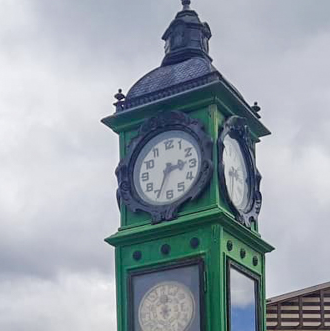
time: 2:34
